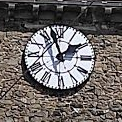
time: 1:57
